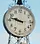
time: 9:47
